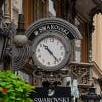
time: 10:22
